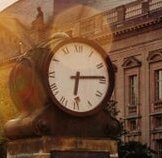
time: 6:13
